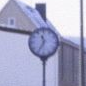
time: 11:35
